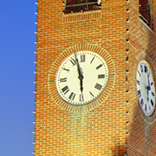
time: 5:57
